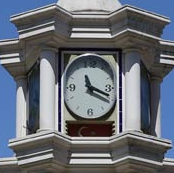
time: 11:18
